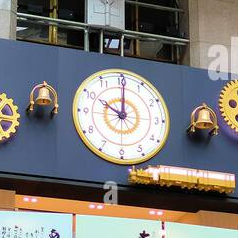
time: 10:00
